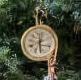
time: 12:28
